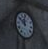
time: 11:50
